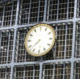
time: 7:37
